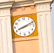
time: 8:11
